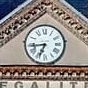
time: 6:43
